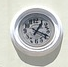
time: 1:18
